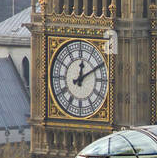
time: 12:10
